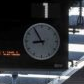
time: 8:54
